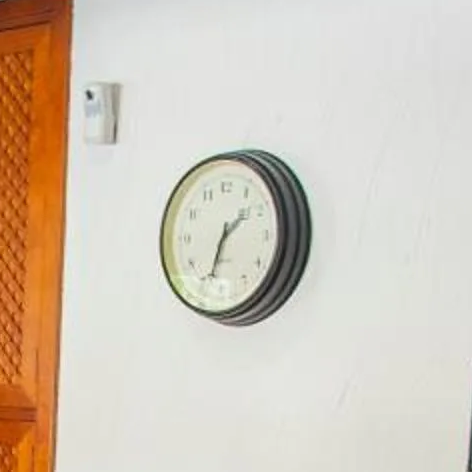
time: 1:33
